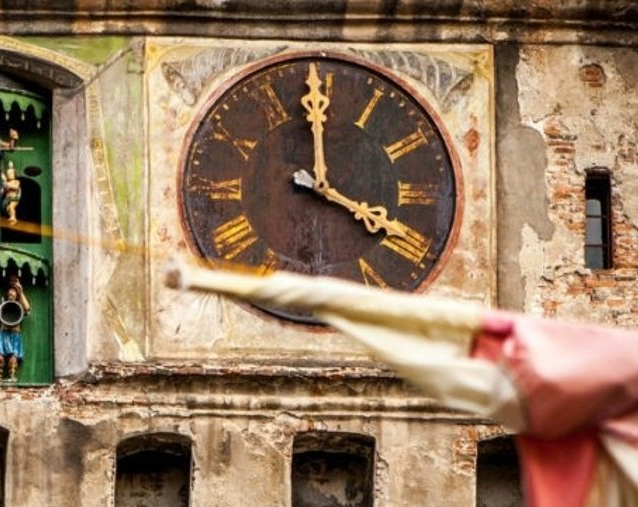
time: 3:59
